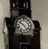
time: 4:50
